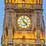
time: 4:22
